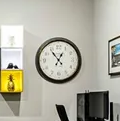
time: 12:53
